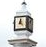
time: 12:23
